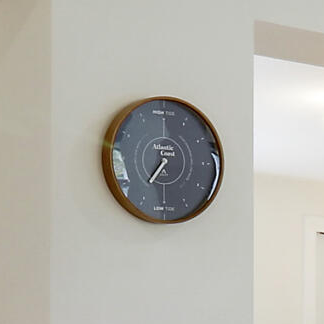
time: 7:00
